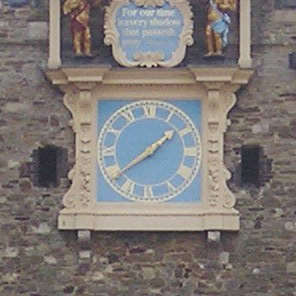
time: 1:38
